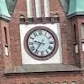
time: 9:36
